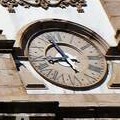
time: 7:54
